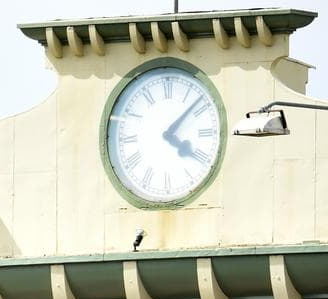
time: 4:08
